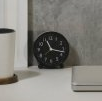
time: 11:17
